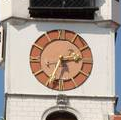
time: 2:34
